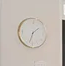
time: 1:33
